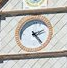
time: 2:23
